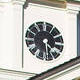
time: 4:29
